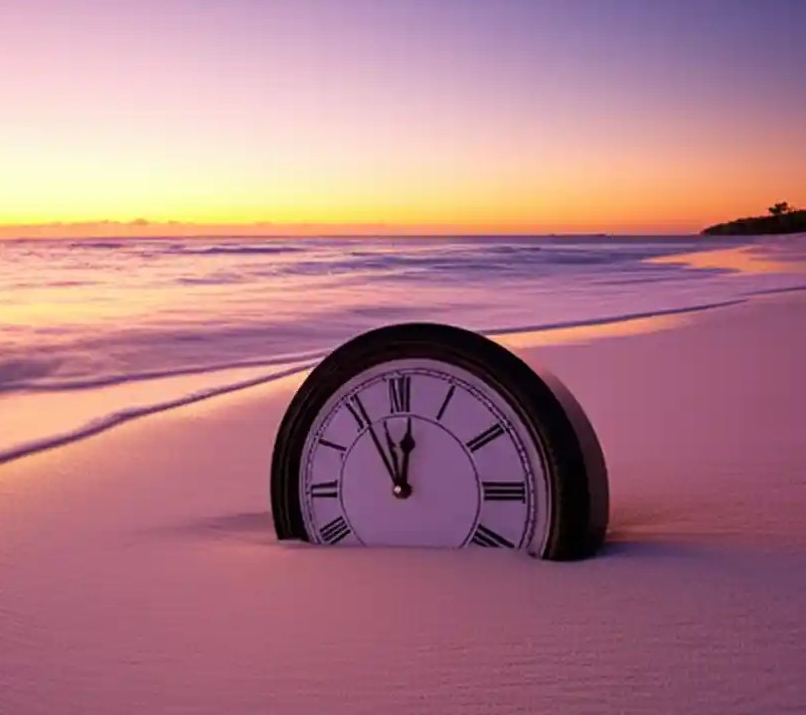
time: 11:55
